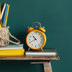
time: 10:40
